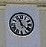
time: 11:21
